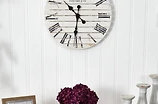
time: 10:31
